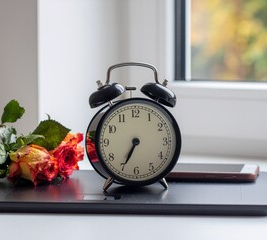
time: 6:34
